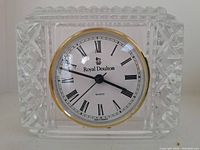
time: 3:47
